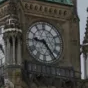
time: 9:23
